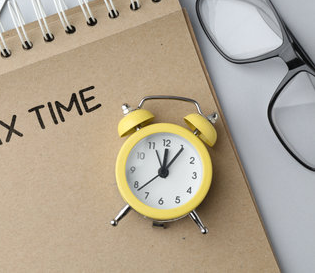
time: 12:05
